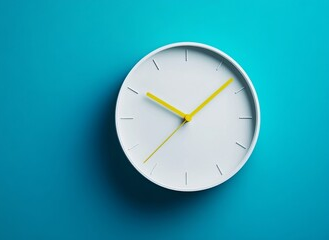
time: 10:07
